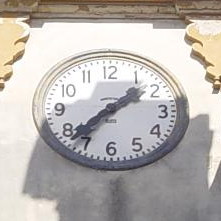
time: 1:37
